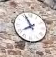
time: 7:55
